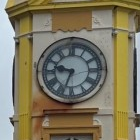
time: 9:33
